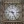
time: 9:25
